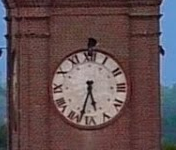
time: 5:32
